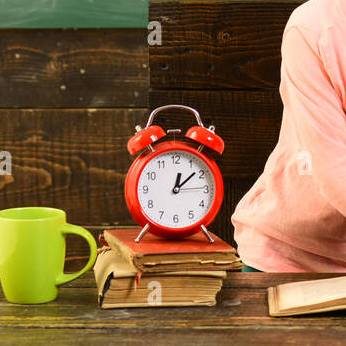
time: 12:07
